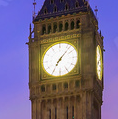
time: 7:07
